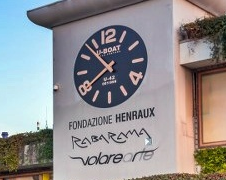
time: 7:53
